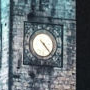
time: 4:22
